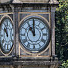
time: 10:59
